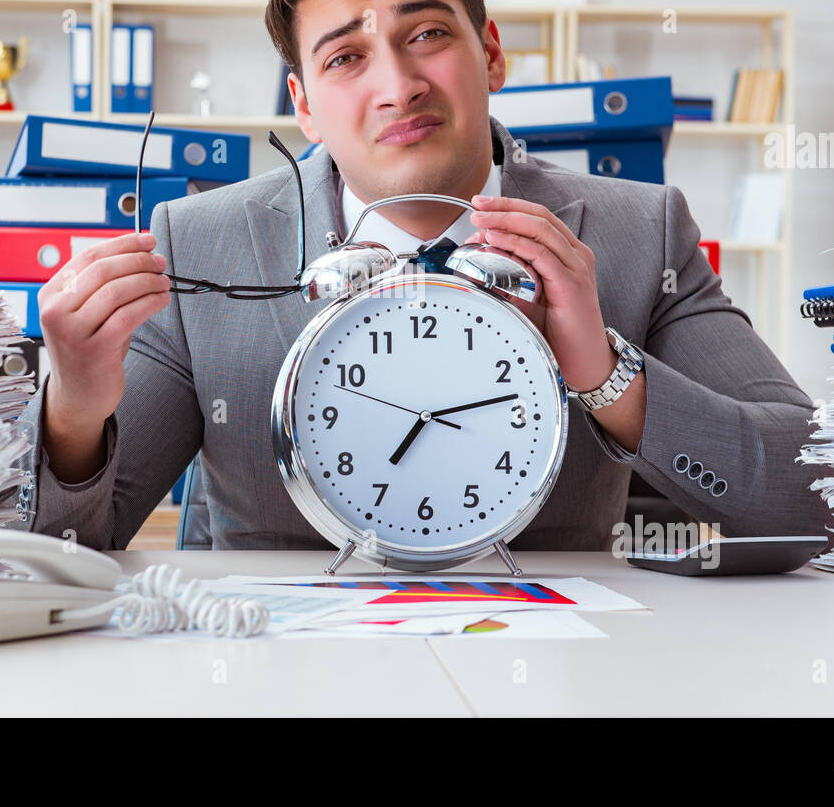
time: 7:12
